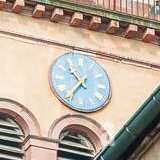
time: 10:36
